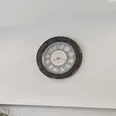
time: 8:17
